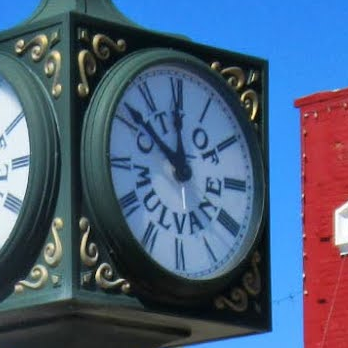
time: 11:51
